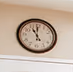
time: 11:00
